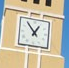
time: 12:53
